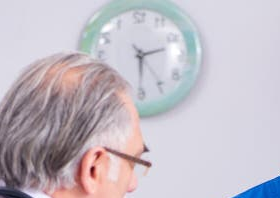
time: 2:29
